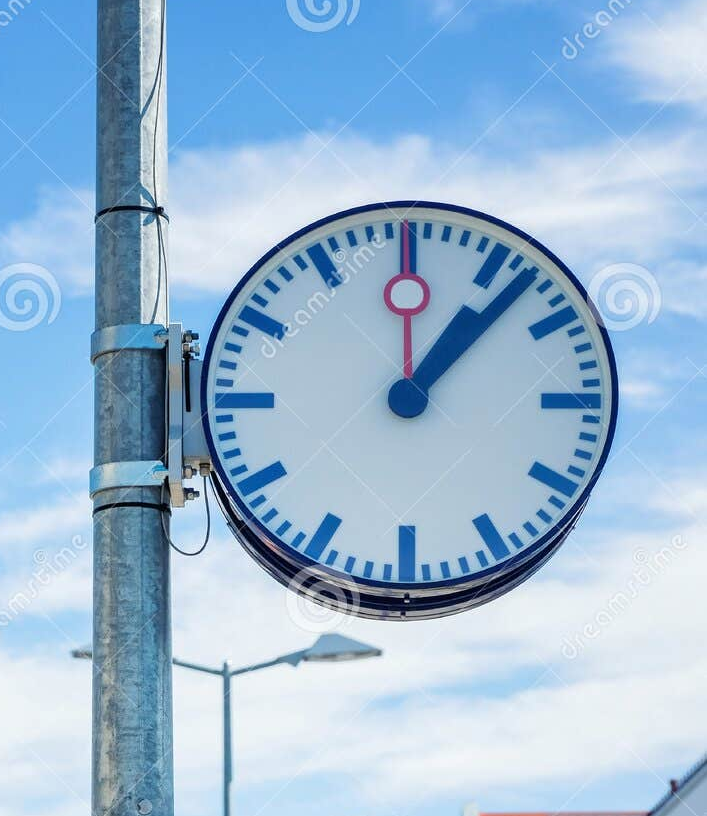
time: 1:07
